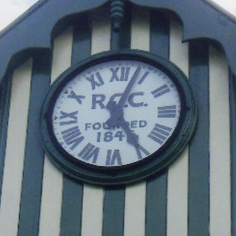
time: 5:03
